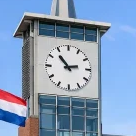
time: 2:53
